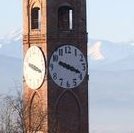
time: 3:48
